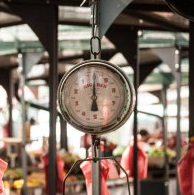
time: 6:00
